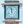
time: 11:58
